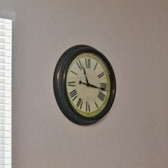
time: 11:16
